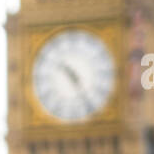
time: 10:25
